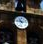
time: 10:47
